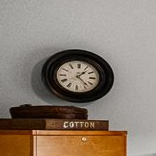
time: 1:22
